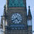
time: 4:40
